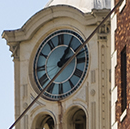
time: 1:12
